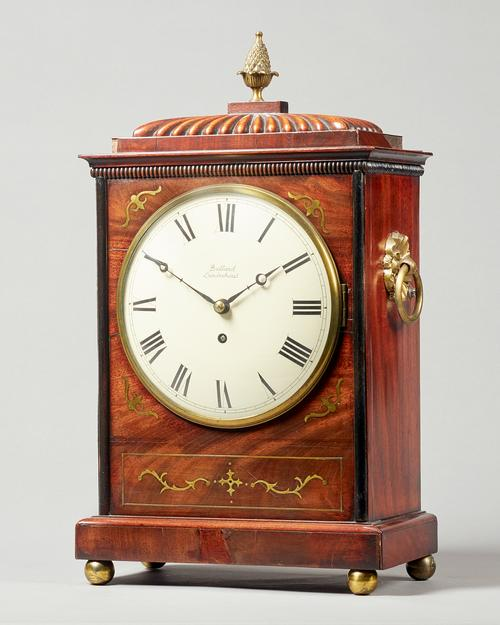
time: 1:50
